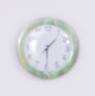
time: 1:29
